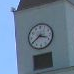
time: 3:39
